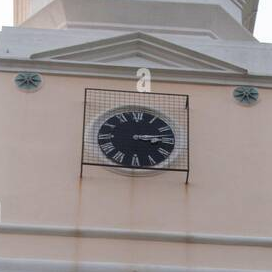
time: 3:13
